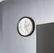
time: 2:24
